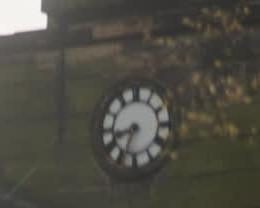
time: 8:33
